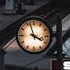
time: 3:57
